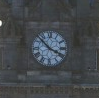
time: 3:52
